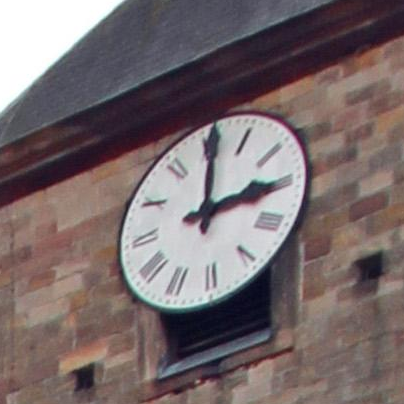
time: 3:00
